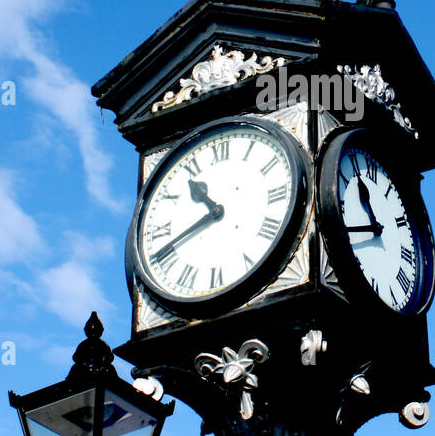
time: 10:41
